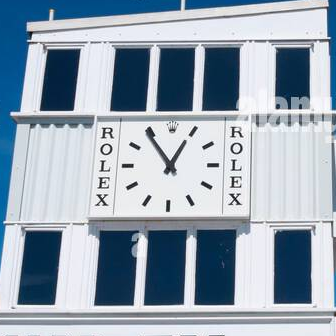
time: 12:54
